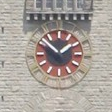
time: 1:51
